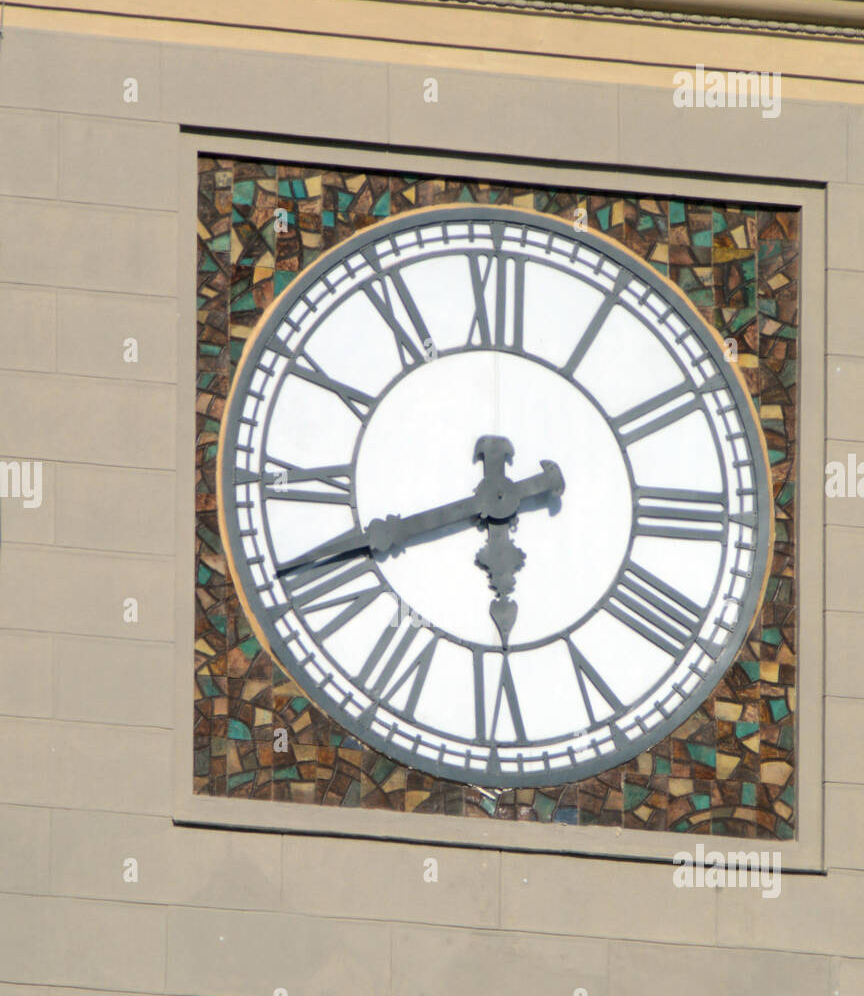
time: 5:41
